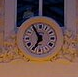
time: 6:54
